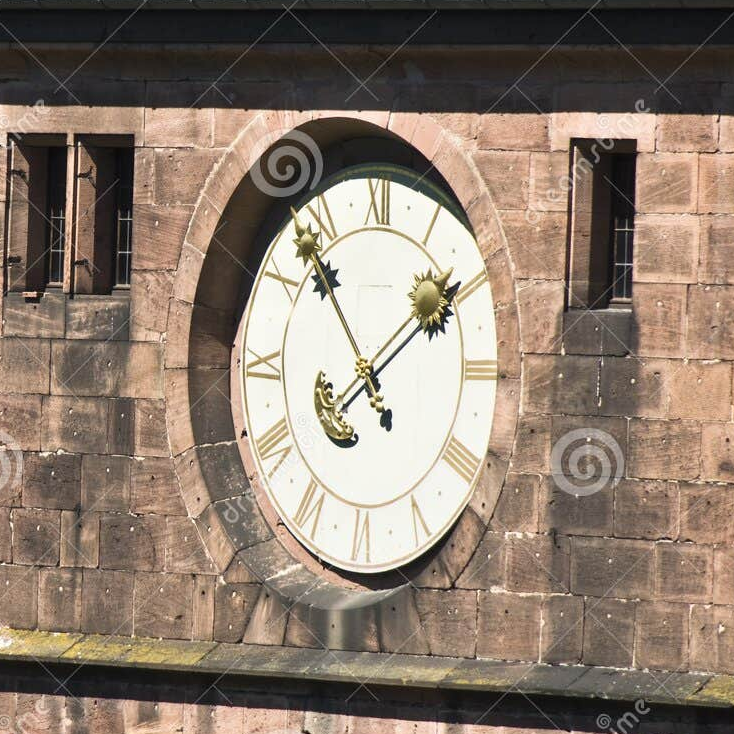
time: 1:53
